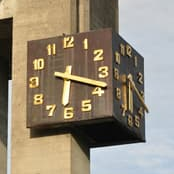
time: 6:18
